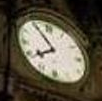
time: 7:54
